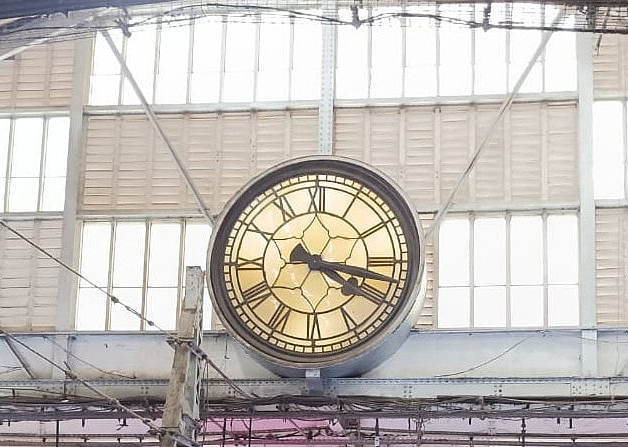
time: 4:17
